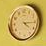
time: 4:14
